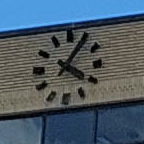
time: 4:04
